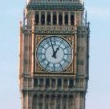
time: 12:57
